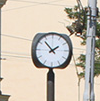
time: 1:52
